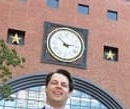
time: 2:52
